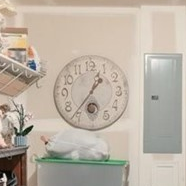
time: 1:36
